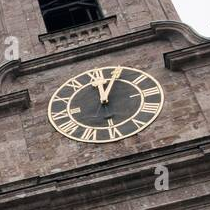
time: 12:04
